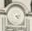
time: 4:12
